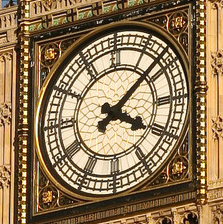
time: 4:08
